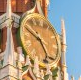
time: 4:49
